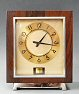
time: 1:16
